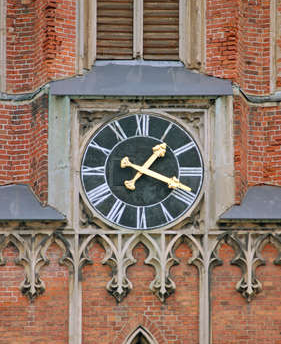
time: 1:18
